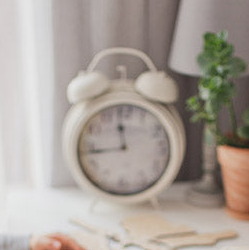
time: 11:43
